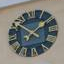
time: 1:51
